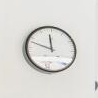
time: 11:47
